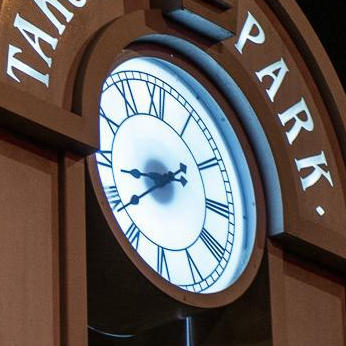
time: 8:38
